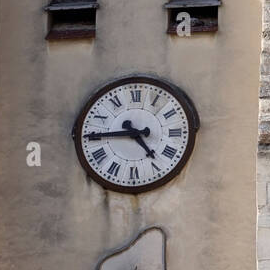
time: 4:44
